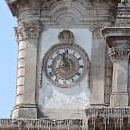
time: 11:40
